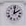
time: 2:01
